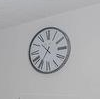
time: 10:35
